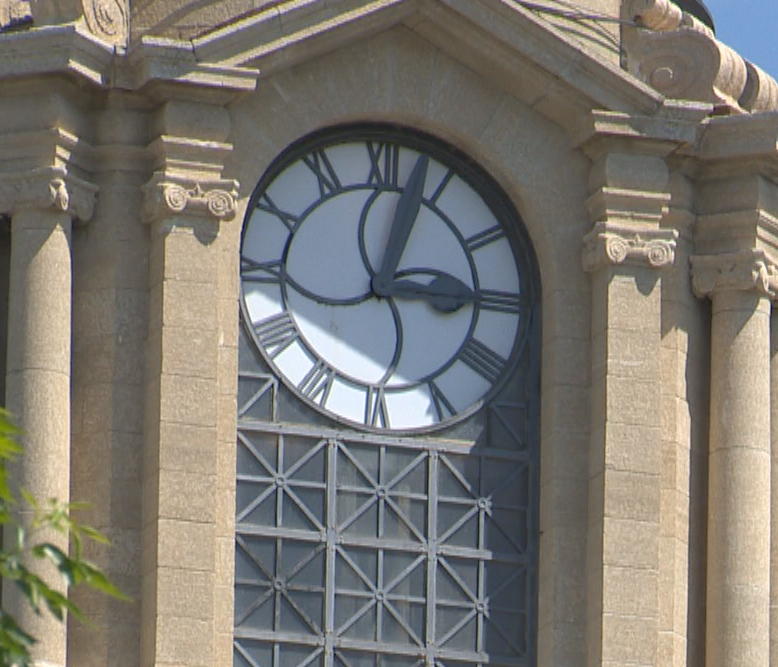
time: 3:02
